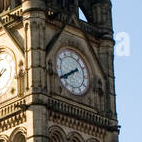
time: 7:40
